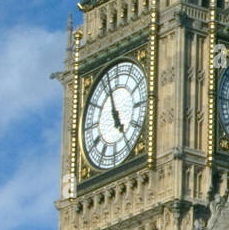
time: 4:57
